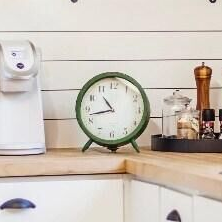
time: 10:42
